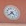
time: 4:38
